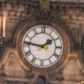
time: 1:46
